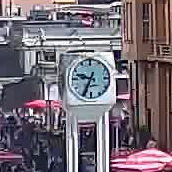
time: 9:34
